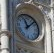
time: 11:07
